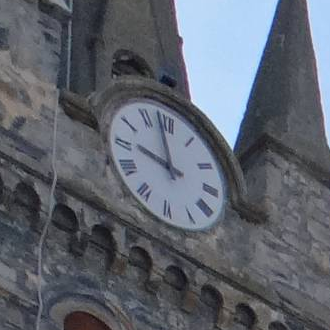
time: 8:58
